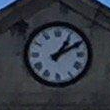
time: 1:10
